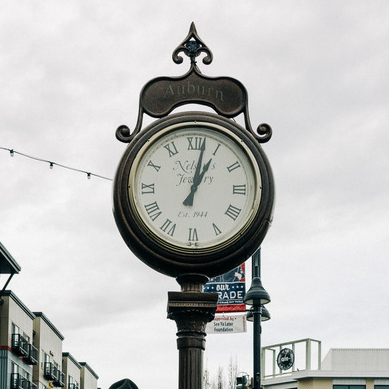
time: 1:02
